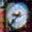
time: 9:38
